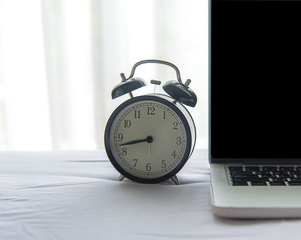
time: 8:42
